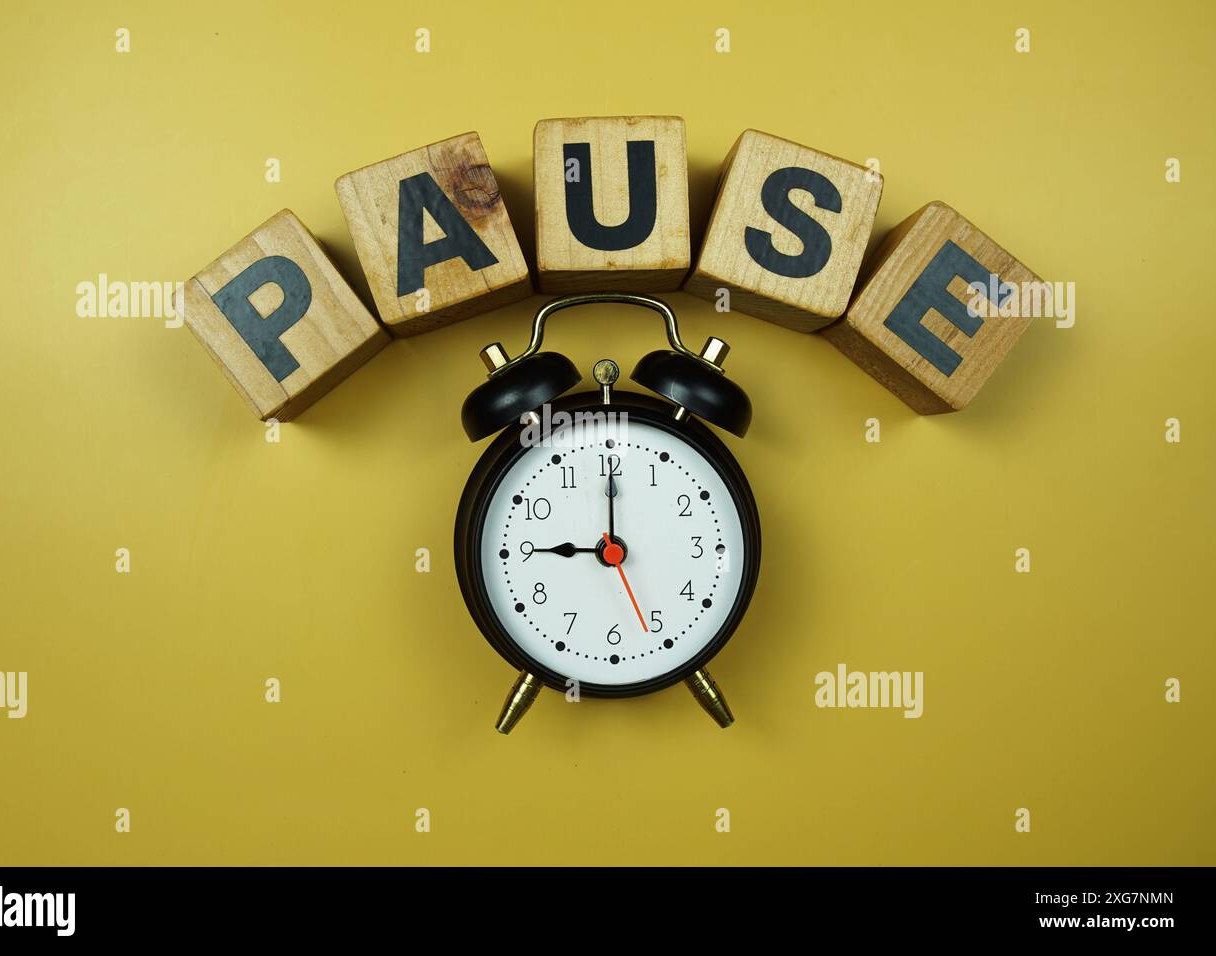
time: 9:00
